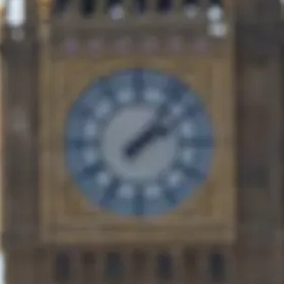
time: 2:06
